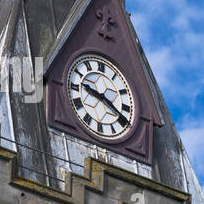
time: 9:19
